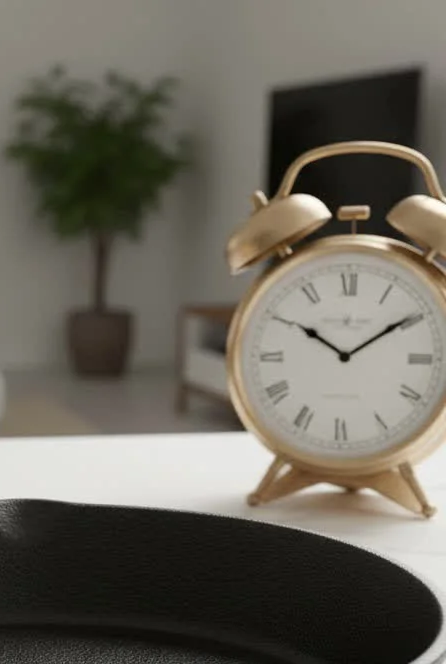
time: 10:09
